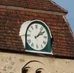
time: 2:06
